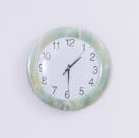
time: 1:29
